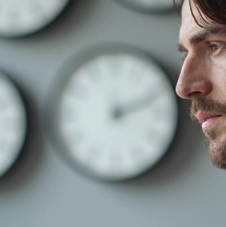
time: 2:11
